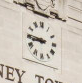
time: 8:46
